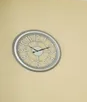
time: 10:11
